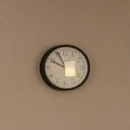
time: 9:56
